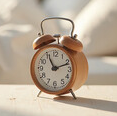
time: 11:11
